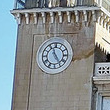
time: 4:56
